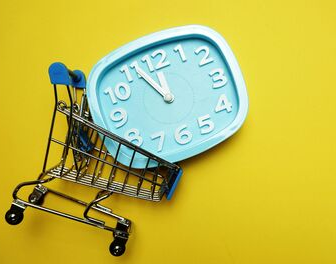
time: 11:55
